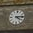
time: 4:13
